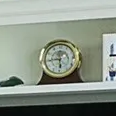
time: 5:43
